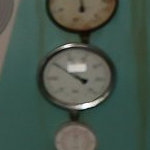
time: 3:50
